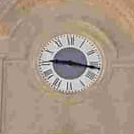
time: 9:16
